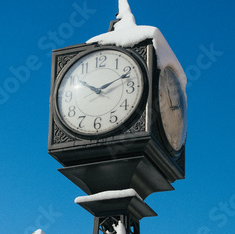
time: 10:11
